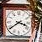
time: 3:39
